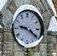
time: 9:20
